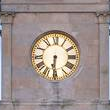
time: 6:30
